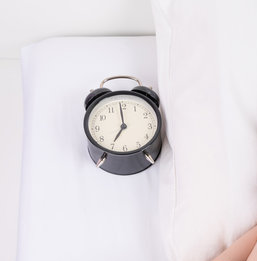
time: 6:59
